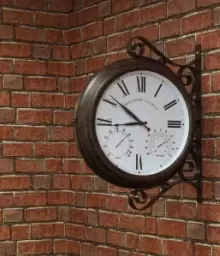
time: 8:51
